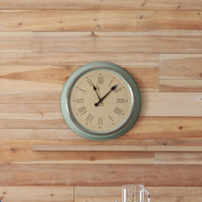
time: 11:07
